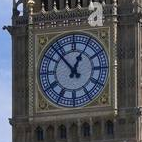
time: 12:53
